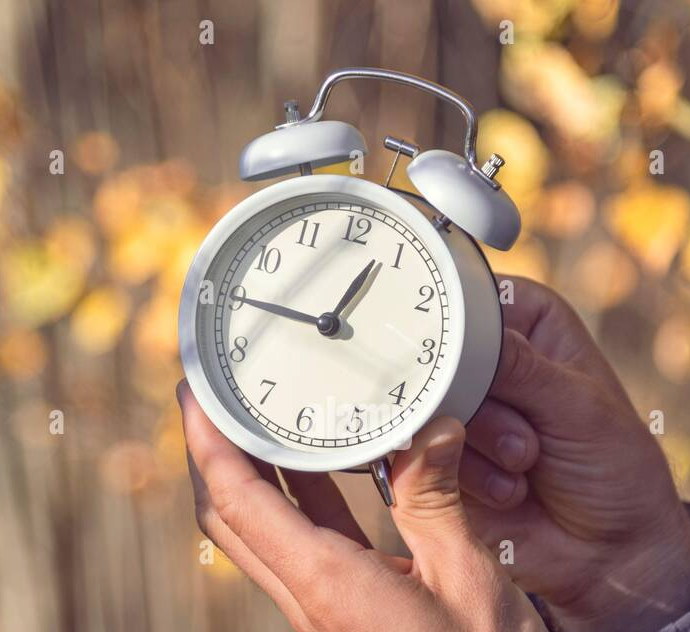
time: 12:45
